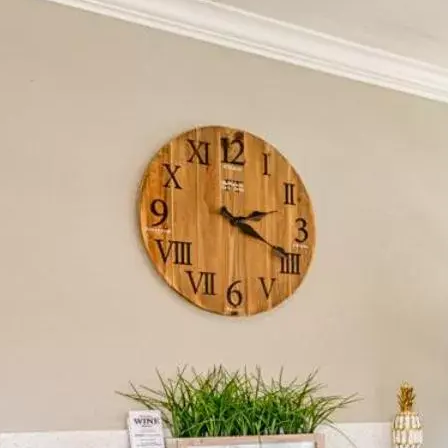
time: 2:19
